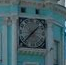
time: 1:37
